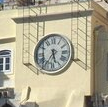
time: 5:35
